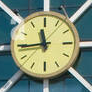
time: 11:44
